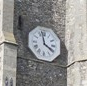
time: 3:58
